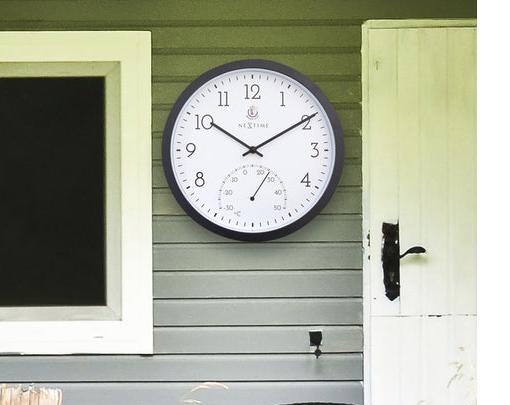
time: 10:09
